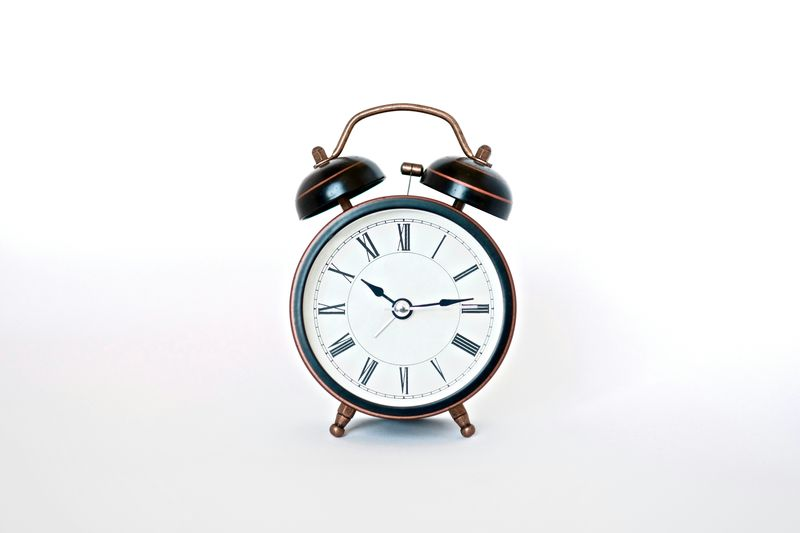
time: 10:13
